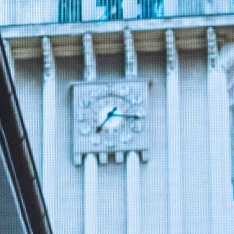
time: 7:15
